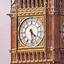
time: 4:28
